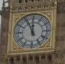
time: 11:55
